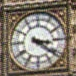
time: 3:21
